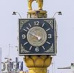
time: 4:49
